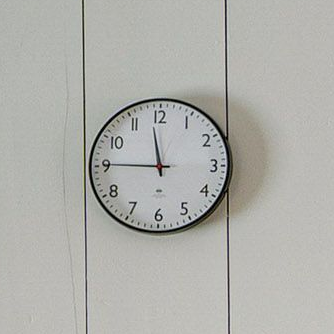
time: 11:45
